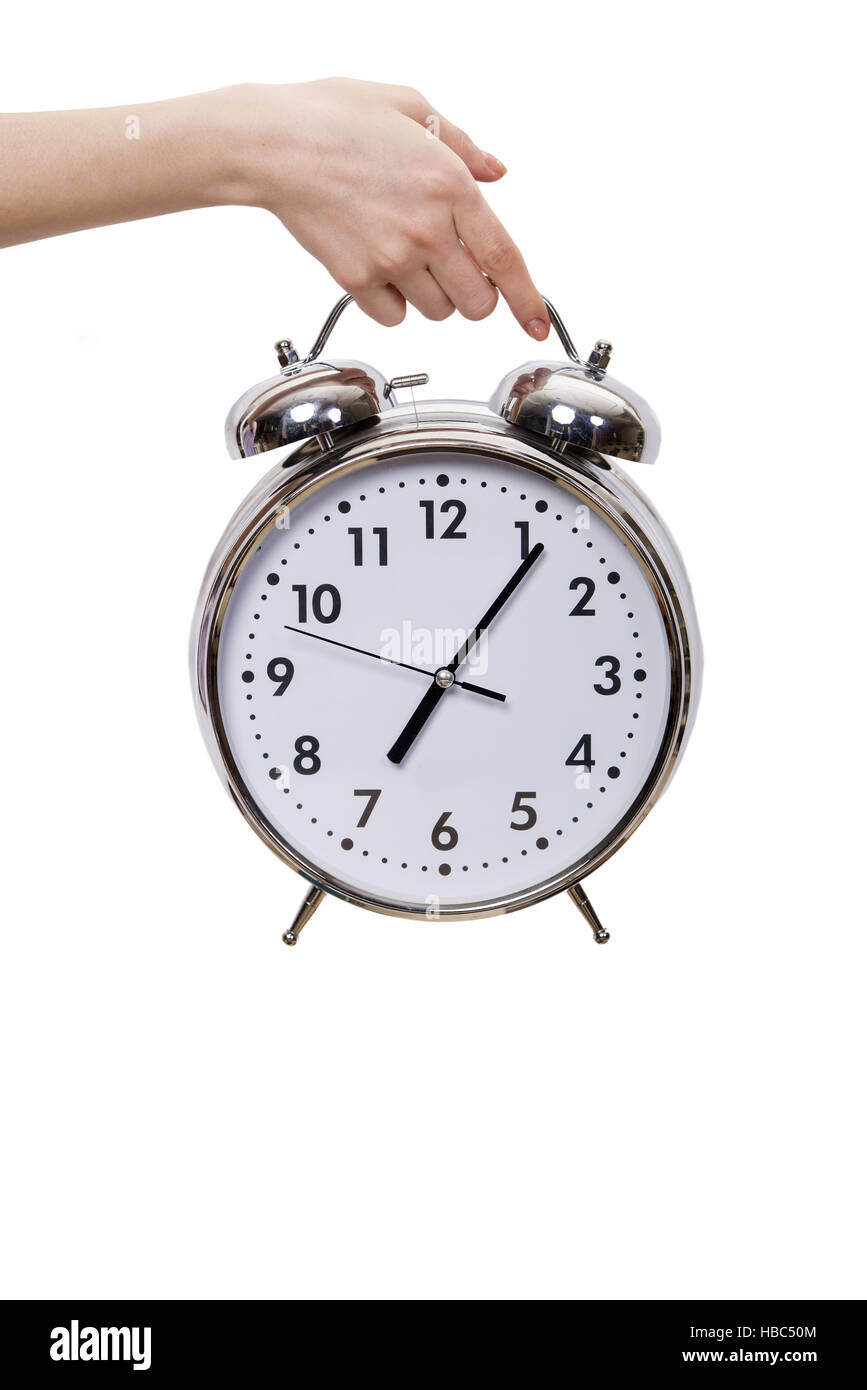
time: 7:06
